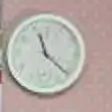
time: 11:21
